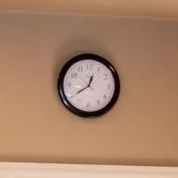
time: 12:39
